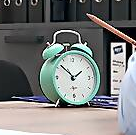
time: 1:52
